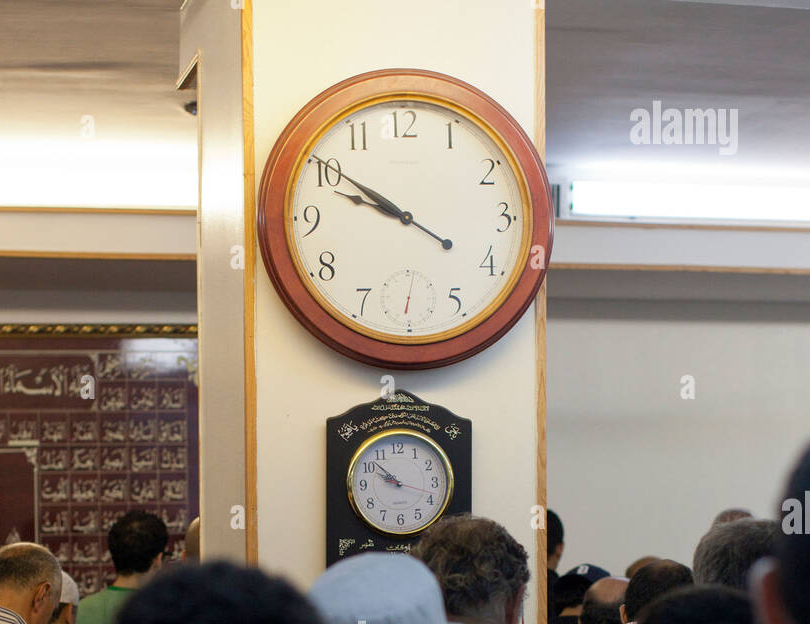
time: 9:50
